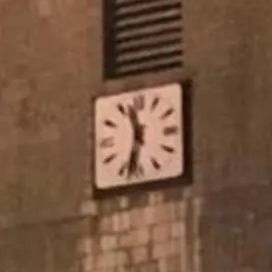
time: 11:32
